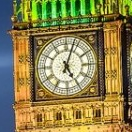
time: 5:03
